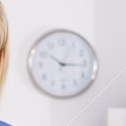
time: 10:16
